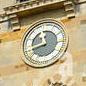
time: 11:42
